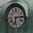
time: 6:14
